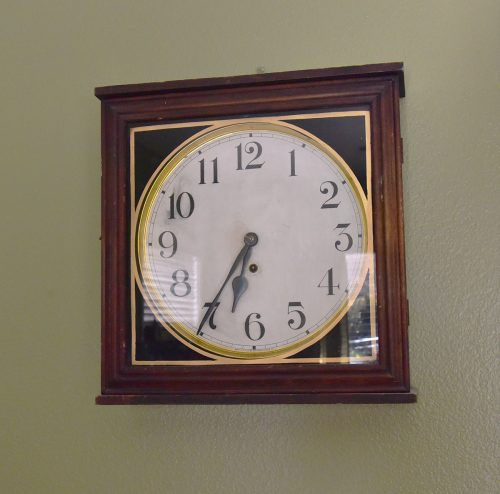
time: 6:35
